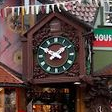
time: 1:50
